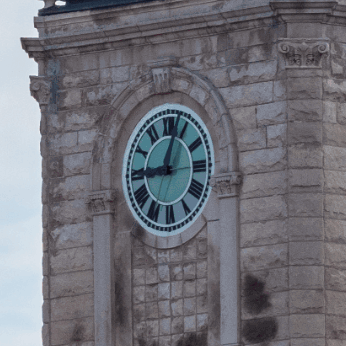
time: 9:02
